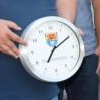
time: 7:10
